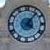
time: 4:06
